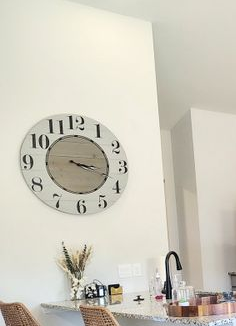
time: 3:18
